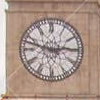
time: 2:47
